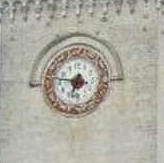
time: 6:46
